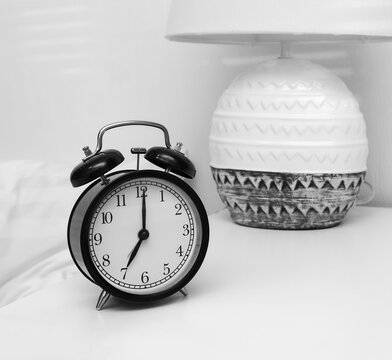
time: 7:00
